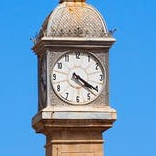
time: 4:20
